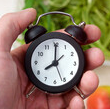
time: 8:00
